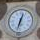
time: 12:32
